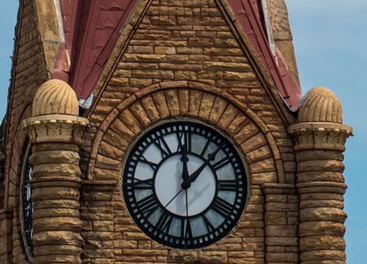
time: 12:07
